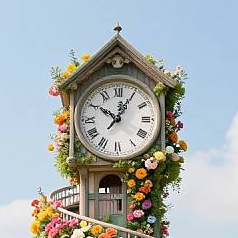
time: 10:05
